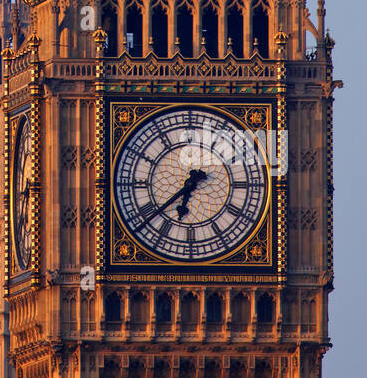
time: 6:38
